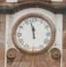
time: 11:57
